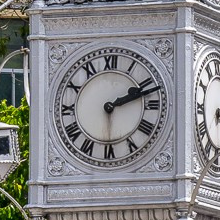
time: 2:12
